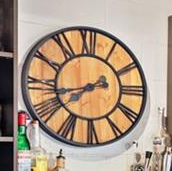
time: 7:42
